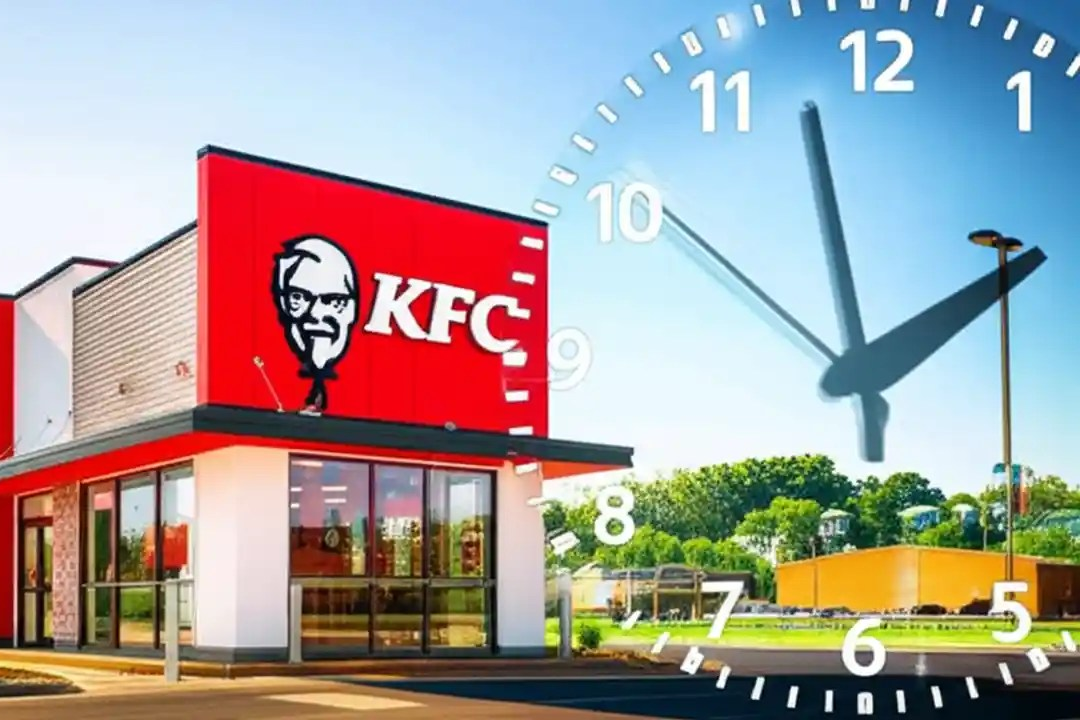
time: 1:57
